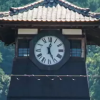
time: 5:01
